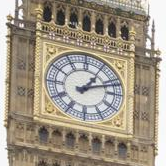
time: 1:11
